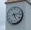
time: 5:12
